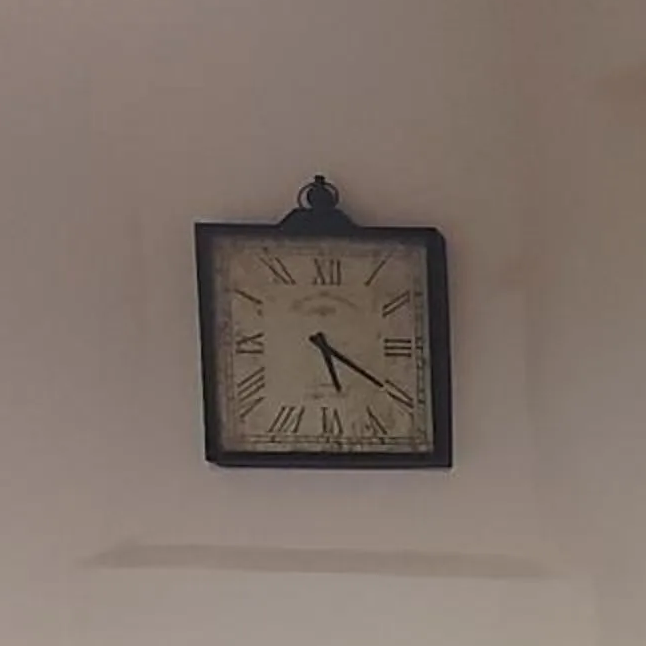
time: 5:20
